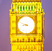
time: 8:48
